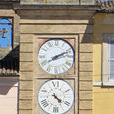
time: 2:11
